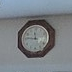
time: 11:45
